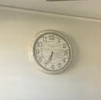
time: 6:34
